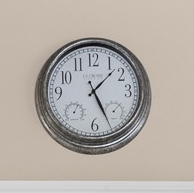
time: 1:25
